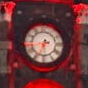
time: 6:43
